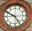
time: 4:50
